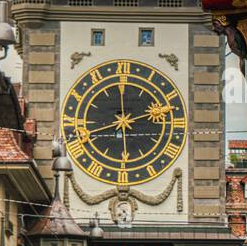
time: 2:29
